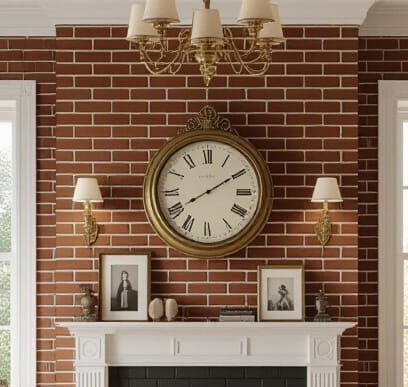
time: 8:09
